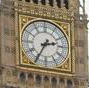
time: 2:34
